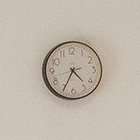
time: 4:34
